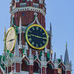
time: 9:15
